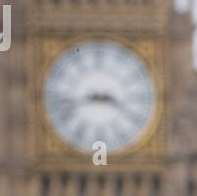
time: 3:42
